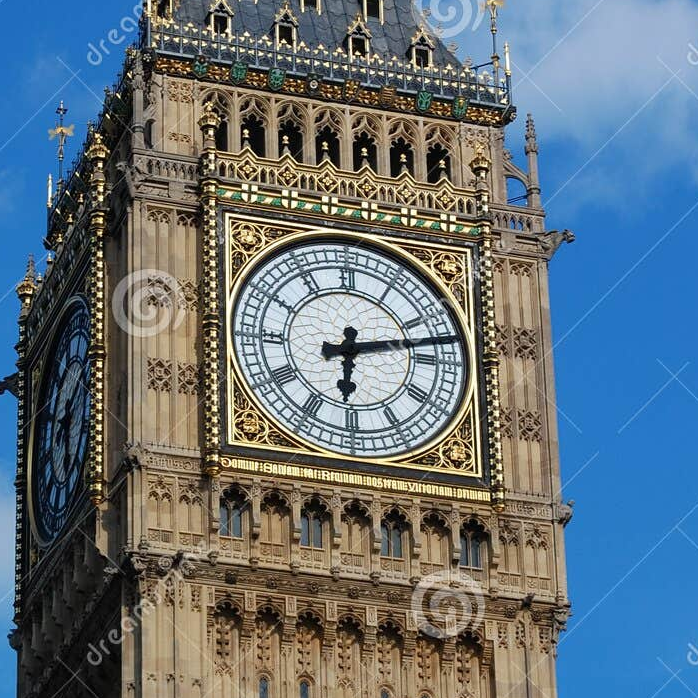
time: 6:12
